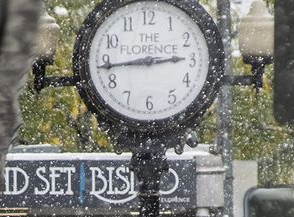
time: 2:43
